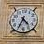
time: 4:34
